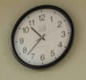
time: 10:37
